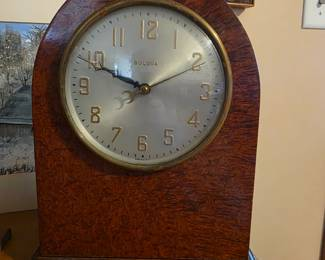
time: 9:48
